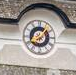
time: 8:07
